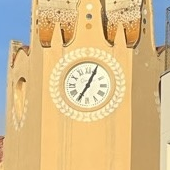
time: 7:04
